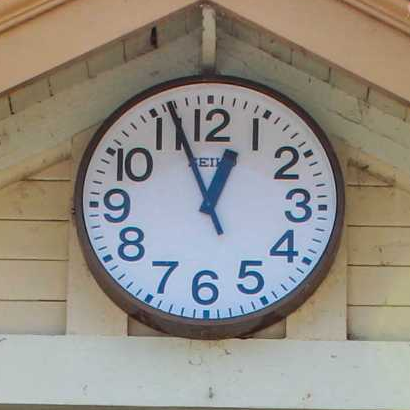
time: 12:56
